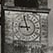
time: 8:57
